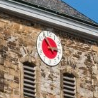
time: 2:53
